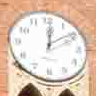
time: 12:09
